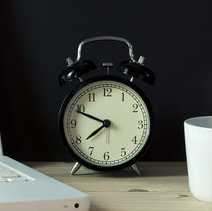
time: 7:48
